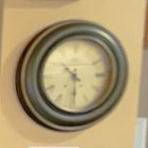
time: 10:29
